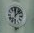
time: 12:07
